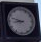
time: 8:48
